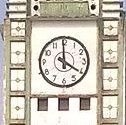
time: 3:59
